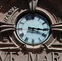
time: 3:15
